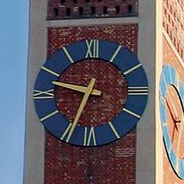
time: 9:34
